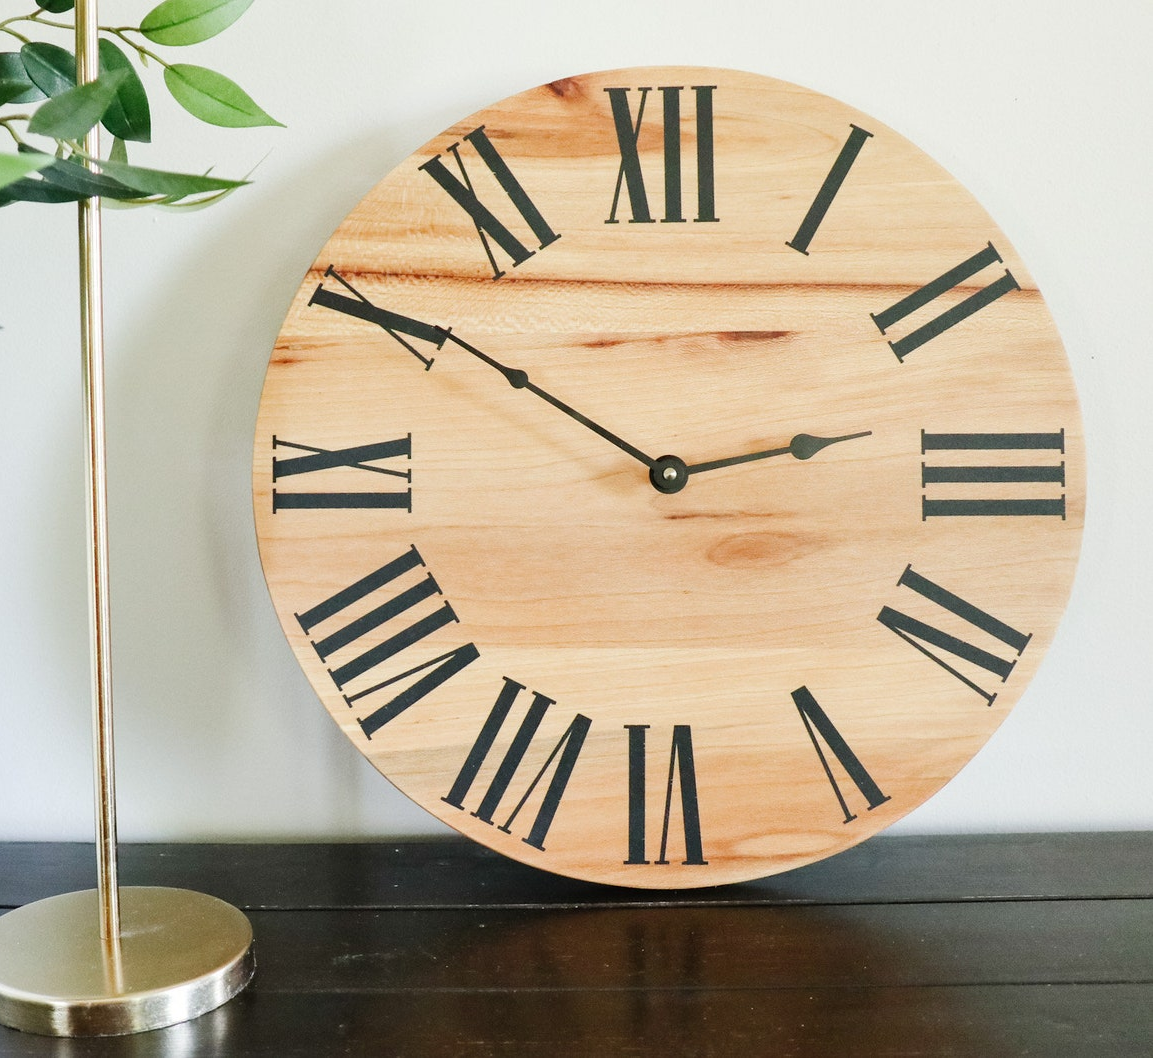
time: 2:50
